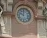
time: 10:00
